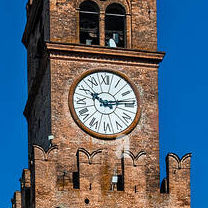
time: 10:13
